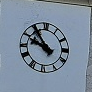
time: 9:54
